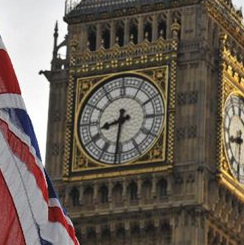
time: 8:31
